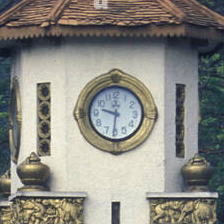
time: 9:30
